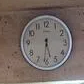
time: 5:31
